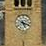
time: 5:18
